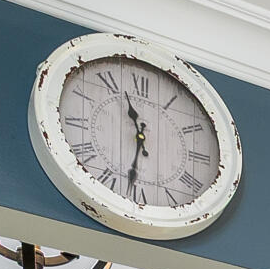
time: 11:31
